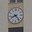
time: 8:23
